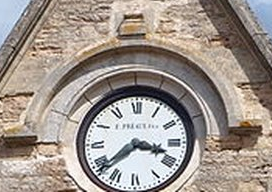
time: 3:38
